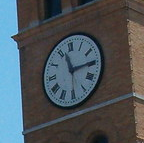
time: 11:14
